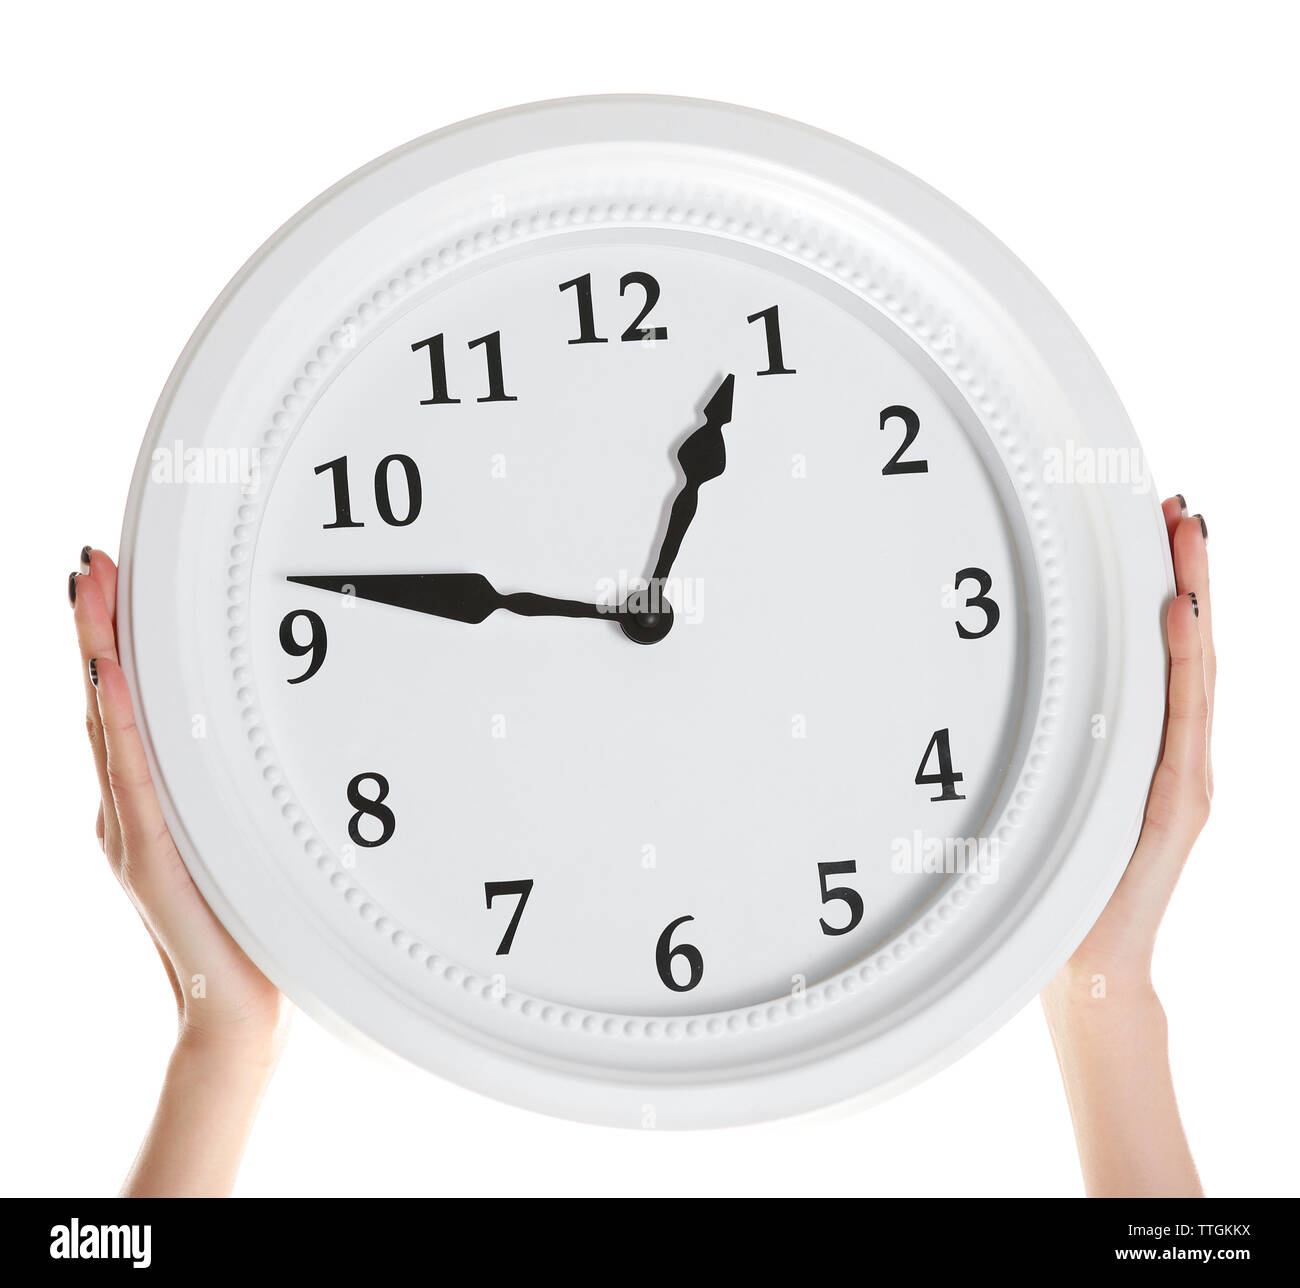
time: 12:46
